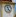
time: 11:22
